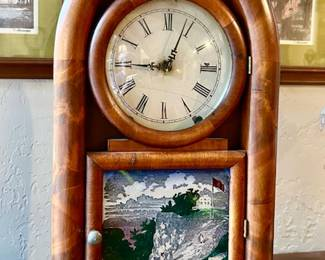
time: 12:44
